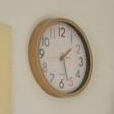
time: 1:26
